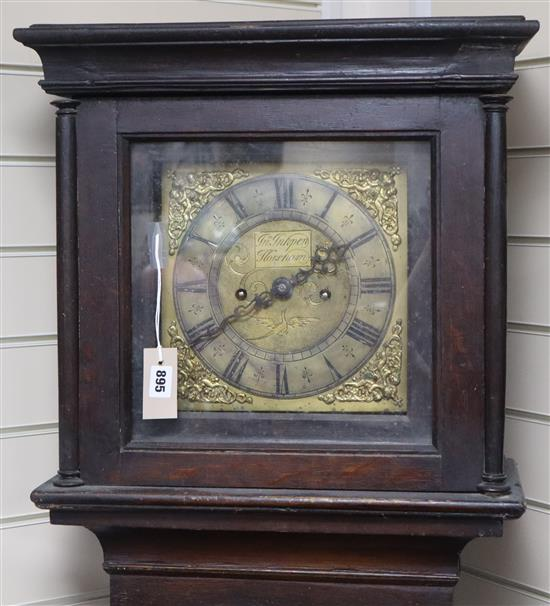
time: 8:09
